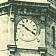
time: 10:20
